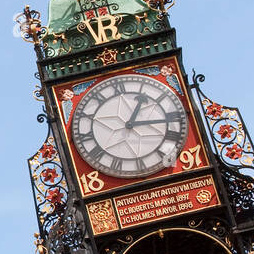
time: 1:16
